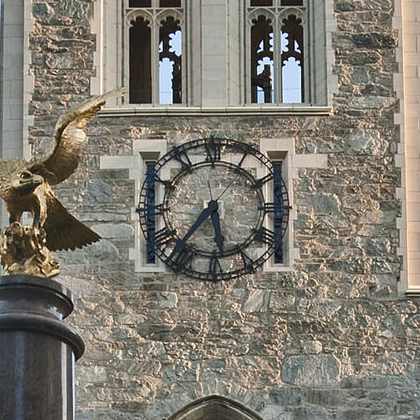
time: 5:36
